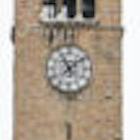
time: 11:08
